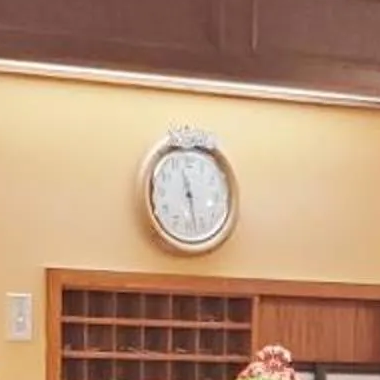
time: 11:28
